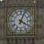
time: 4:03
